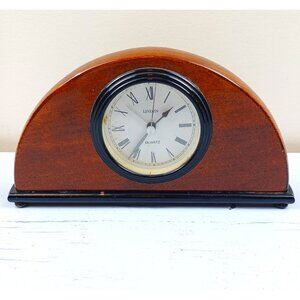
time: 1:35
